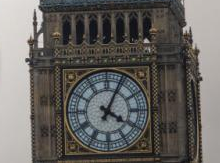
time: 4:04
